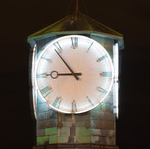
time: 8:53
